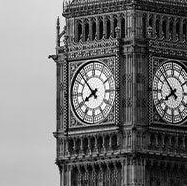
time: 7:52
